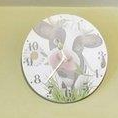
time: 12:37
